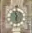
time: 6:29
